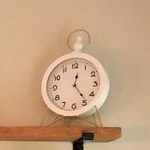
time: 12:23
